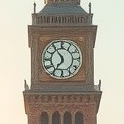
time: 6:54
